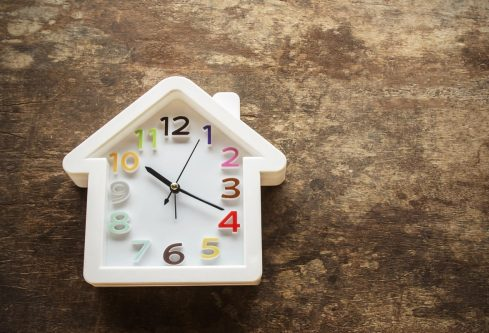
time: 10:19
